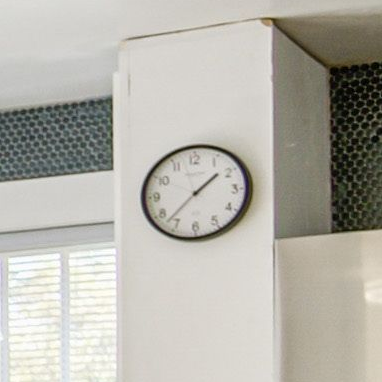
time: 1:37
